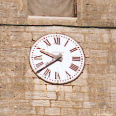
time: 9:38
